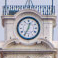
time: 12:34
